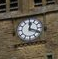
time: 12:18
